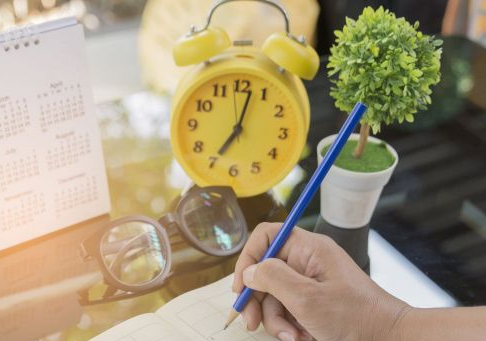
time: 7:02
